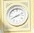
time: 8:11
